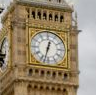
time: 12:32
